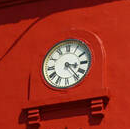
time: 3:23
